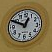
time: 12:49
